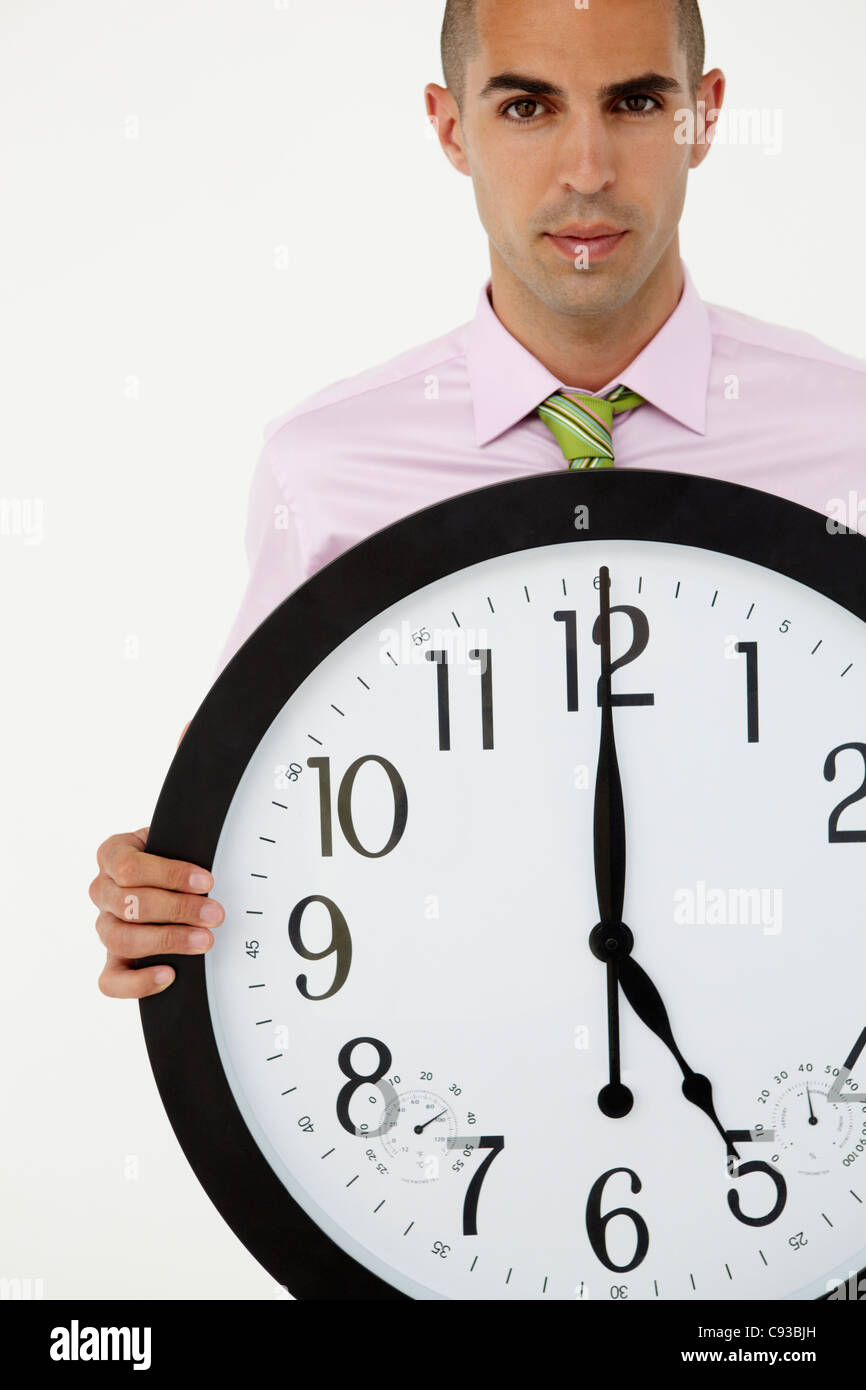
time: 5:00
